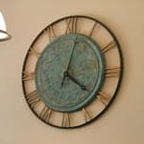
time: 4:02
